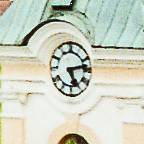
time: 5:13
